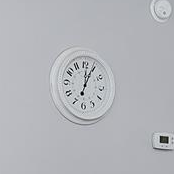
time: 12:04
